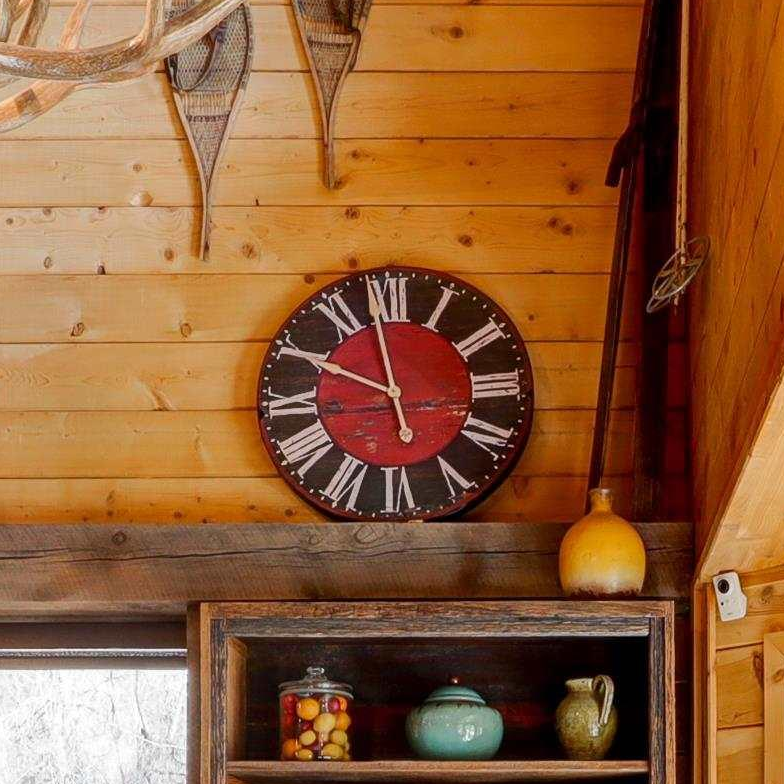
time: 9:58
